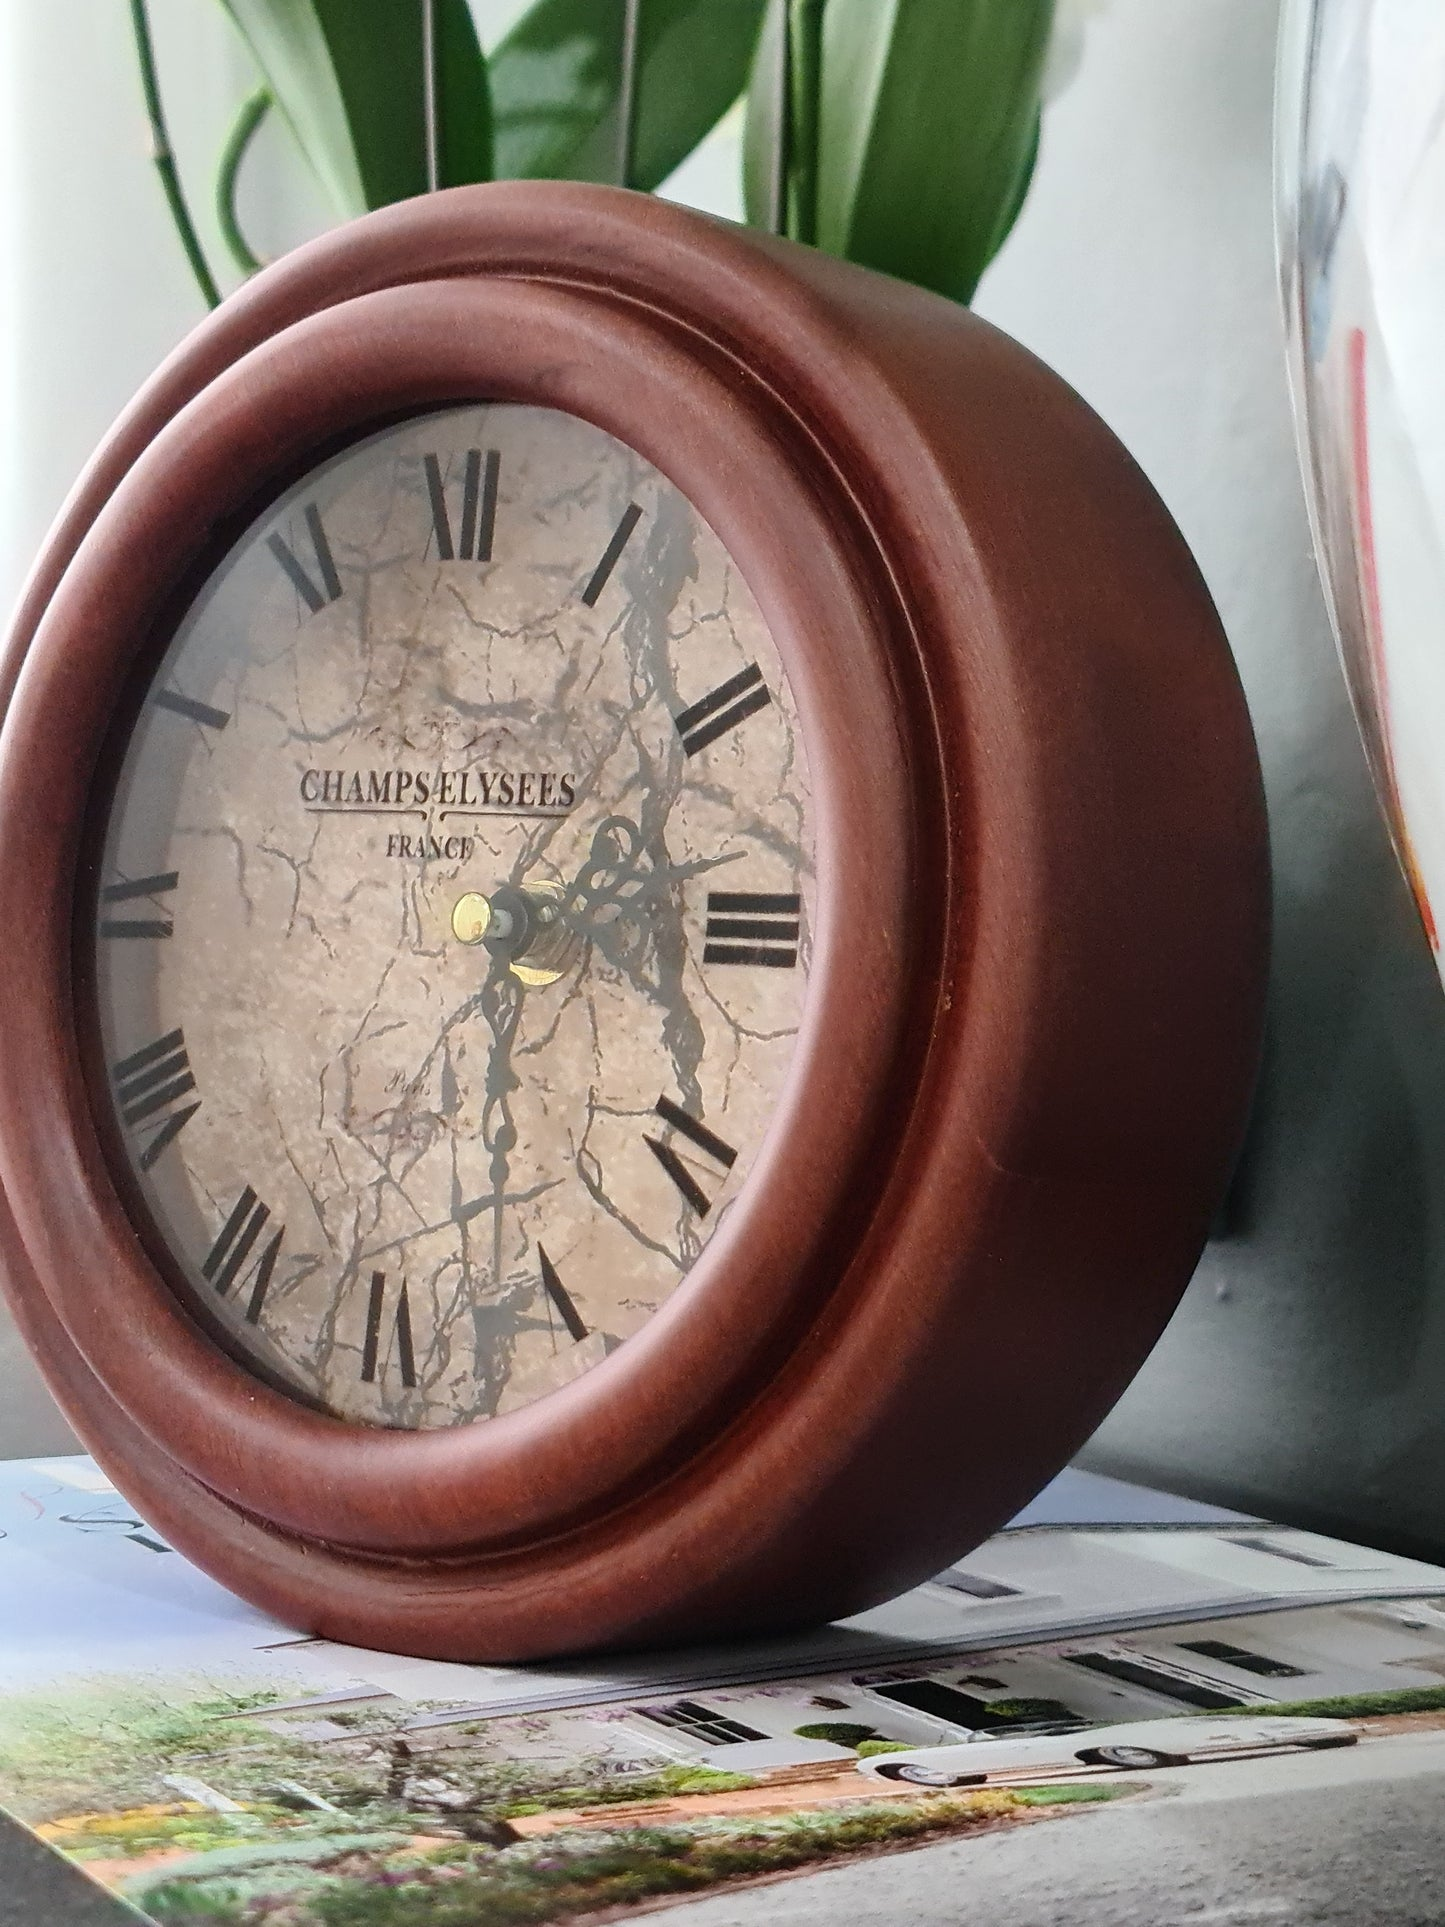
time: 2:27
